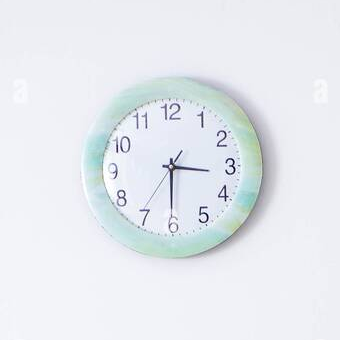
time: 3:30
